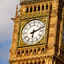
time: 6:11
